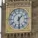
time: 1:28
